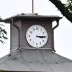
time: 3:14
